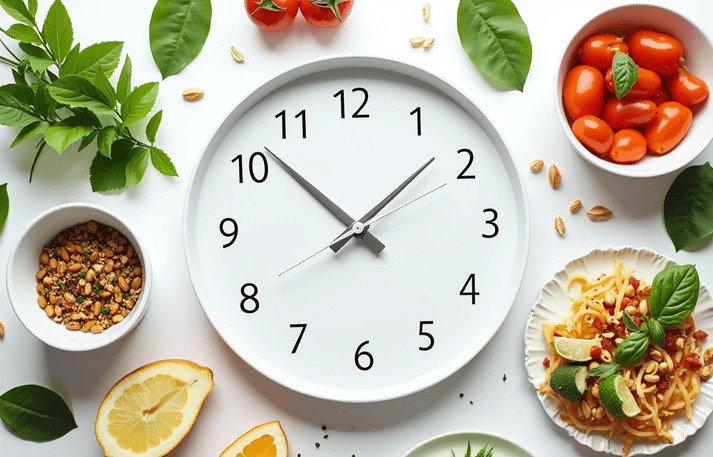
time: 1:52
